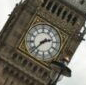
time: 2:38
